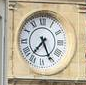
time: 7:25
